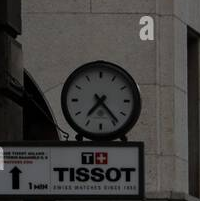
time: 7:23
